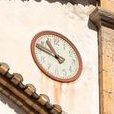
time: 10:47
